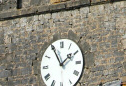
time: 1:55
